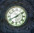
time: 8:09
